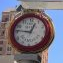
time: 12:46
